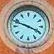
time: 3:48
